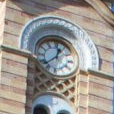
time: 12:38
